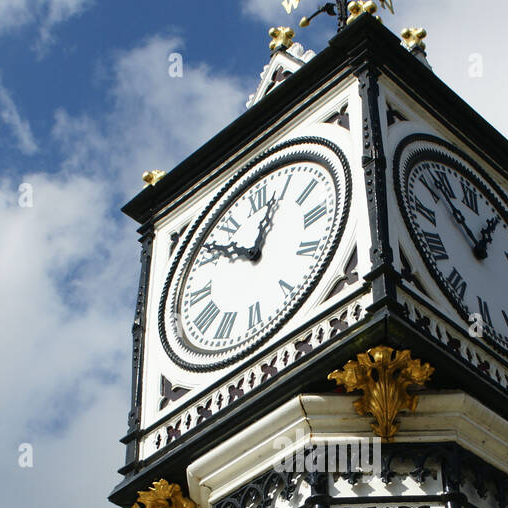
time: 12:51
